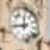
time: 11:42
